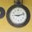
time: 9:12
